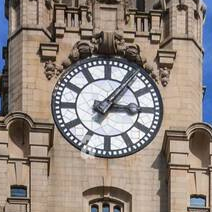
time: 3:06
